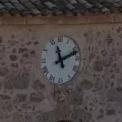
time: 11:11
